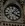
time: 4:07
